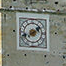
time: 1:41
